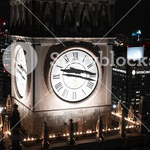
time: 9:17
